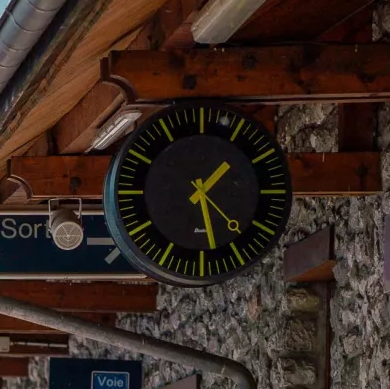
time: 1:28
